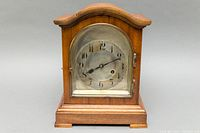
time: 8:11
